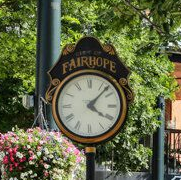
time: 4:07
